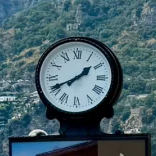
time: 1:40
